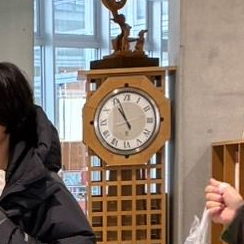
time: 10:56
